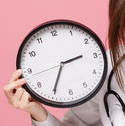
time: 2:35
